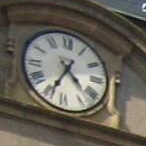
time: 4:34
